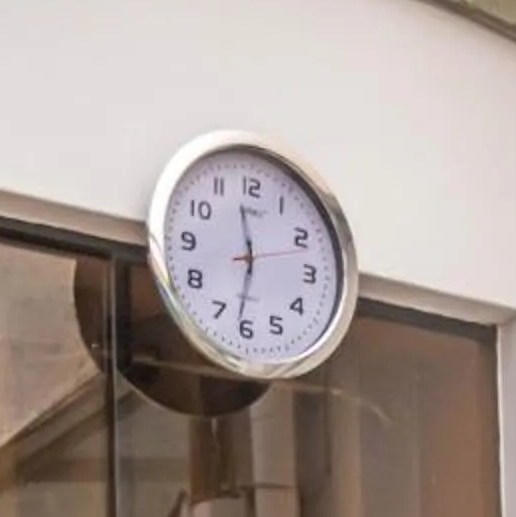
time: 11:31
